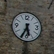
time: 5:34
